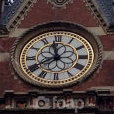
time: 11:40
